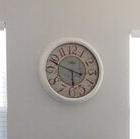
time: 5:48
